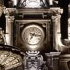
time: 7:15
